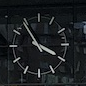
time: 3:54
